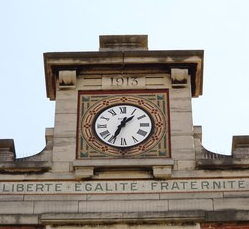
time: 1:34
